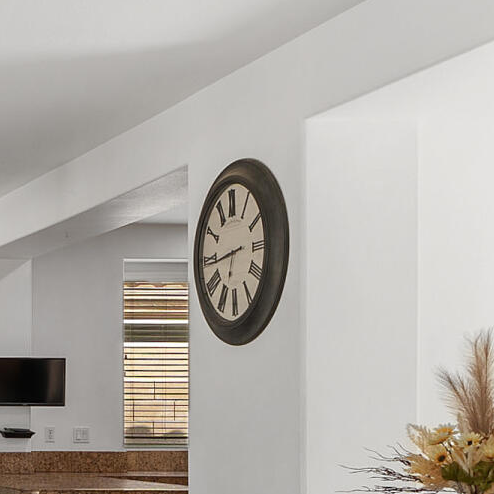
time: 6:43
